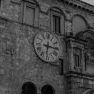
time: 6:15
